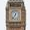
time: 12:36
